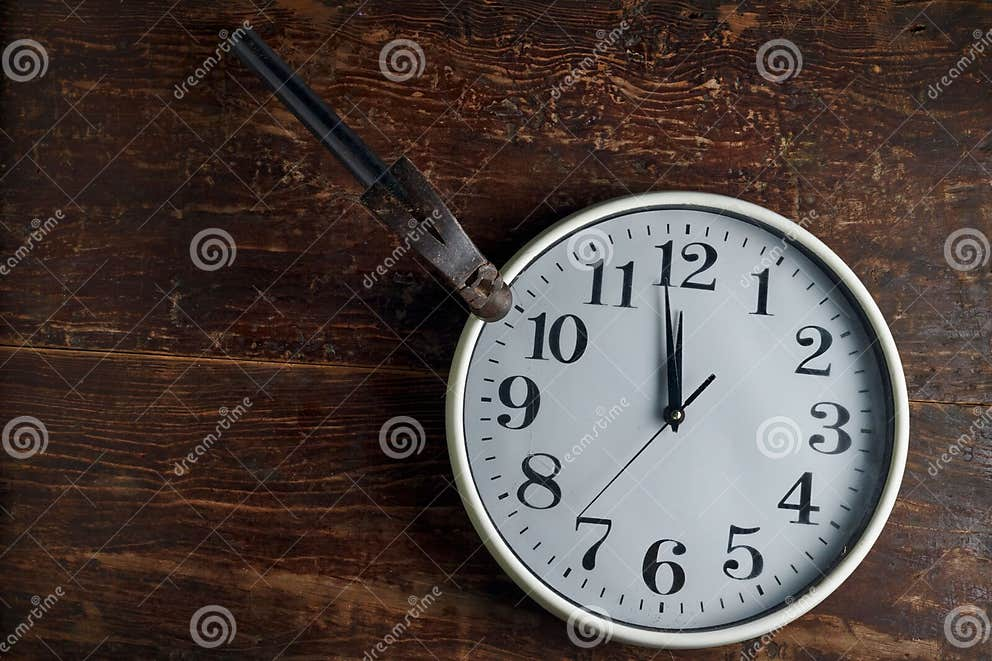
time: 11:58
